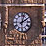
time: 2:02
